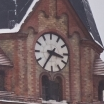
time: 3:35
